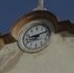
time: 9:11
